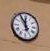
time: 11:55
